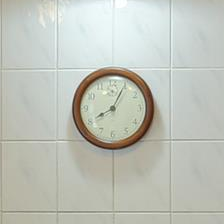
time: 8:04
